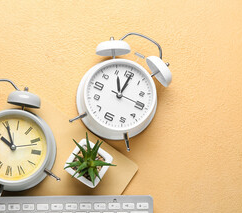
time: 12:06
